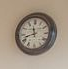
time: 11:42
